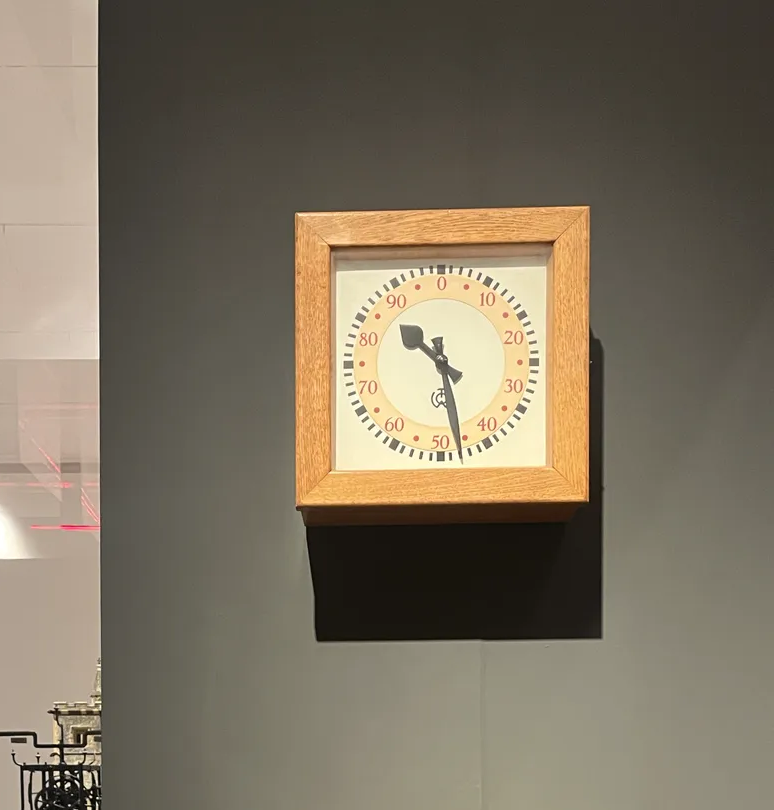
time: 10:28
